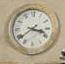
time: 3:39
